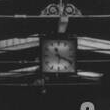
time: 11:18
